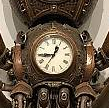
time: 12:44
